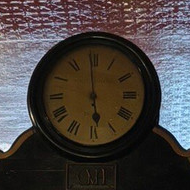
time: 5:59
